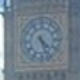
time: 4:26
